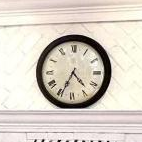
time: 4:34
